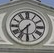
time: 7:30
